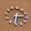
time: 6:13
